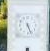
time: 5:26
